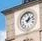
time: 1:11
